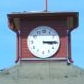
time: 3:14
